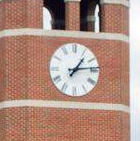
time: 1:13
